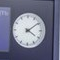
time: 4:09
